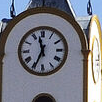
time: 11:34
